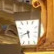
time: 5:41
